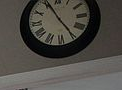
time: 4:55
